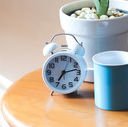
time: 7:13
